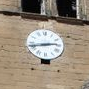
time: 2:42
